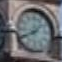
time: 1:40
